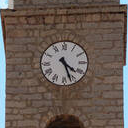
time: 4:26
